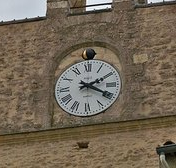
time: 2:19
